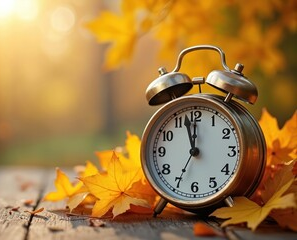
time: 11:57
